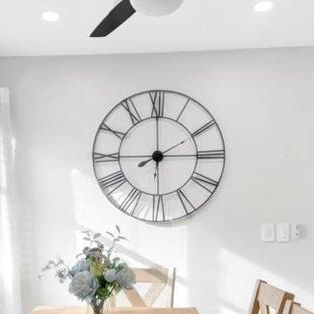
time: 2:00
